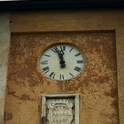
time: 11:56
